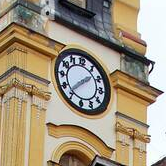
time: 1:36
